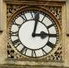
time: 3:02
